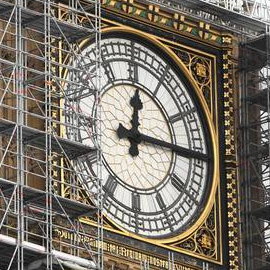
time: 12:14
